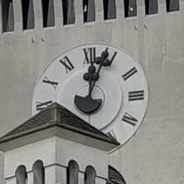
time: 12:03
